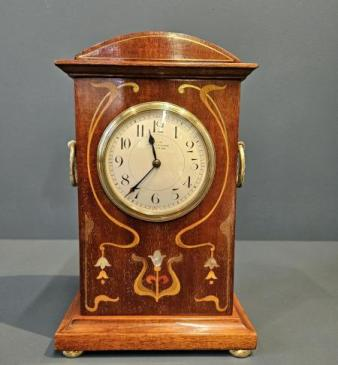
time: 11:37
